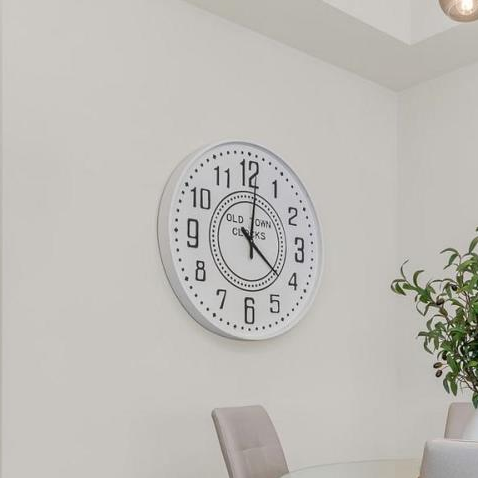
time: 4:01
